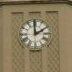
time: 1:59
